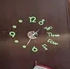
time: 1:34
